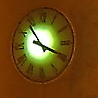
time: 3:53
